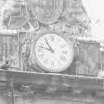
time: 10:47
